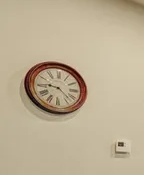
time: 9:22
